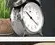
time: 10:21
